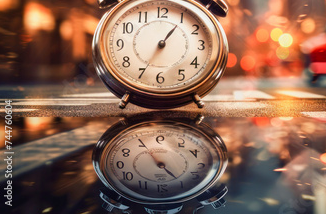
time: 4:55
